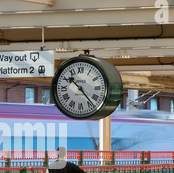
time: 10:23
